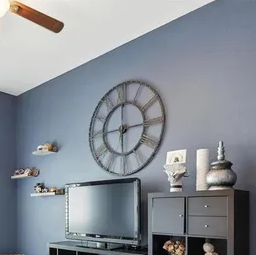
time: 6:00
